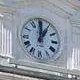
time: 12:05
